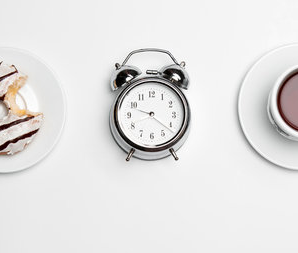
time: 9:21
